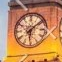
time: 6:08
